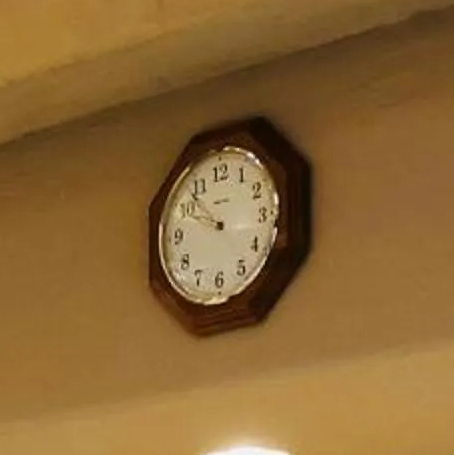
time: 9:53
